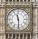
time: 11:29
